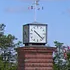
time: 10:21
